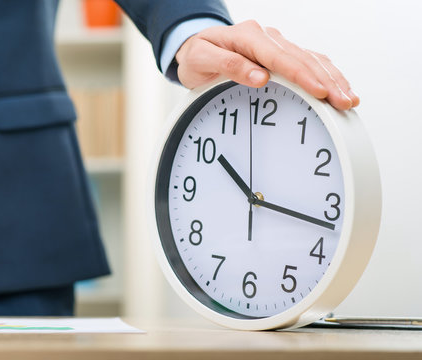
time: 10:16
